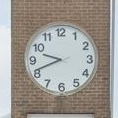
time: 9:41
